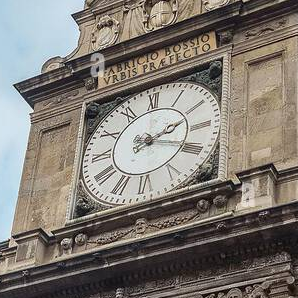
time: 2:18
